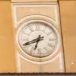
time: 6:41
